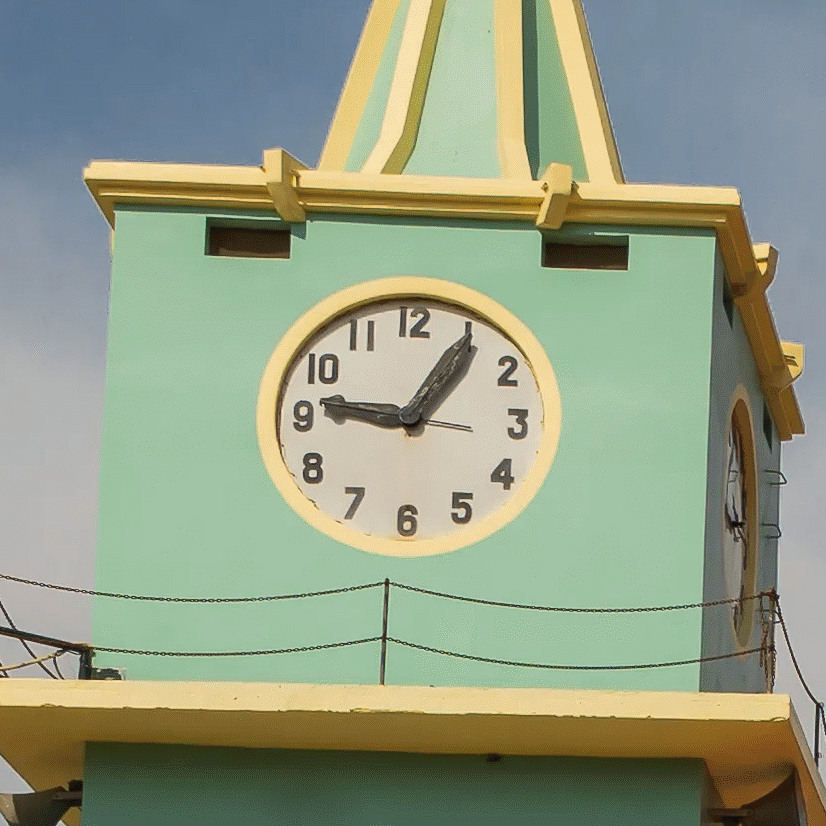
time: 9:05
